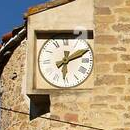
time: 6:11
